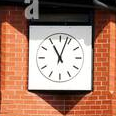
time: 11:03
